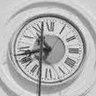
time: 10:42
